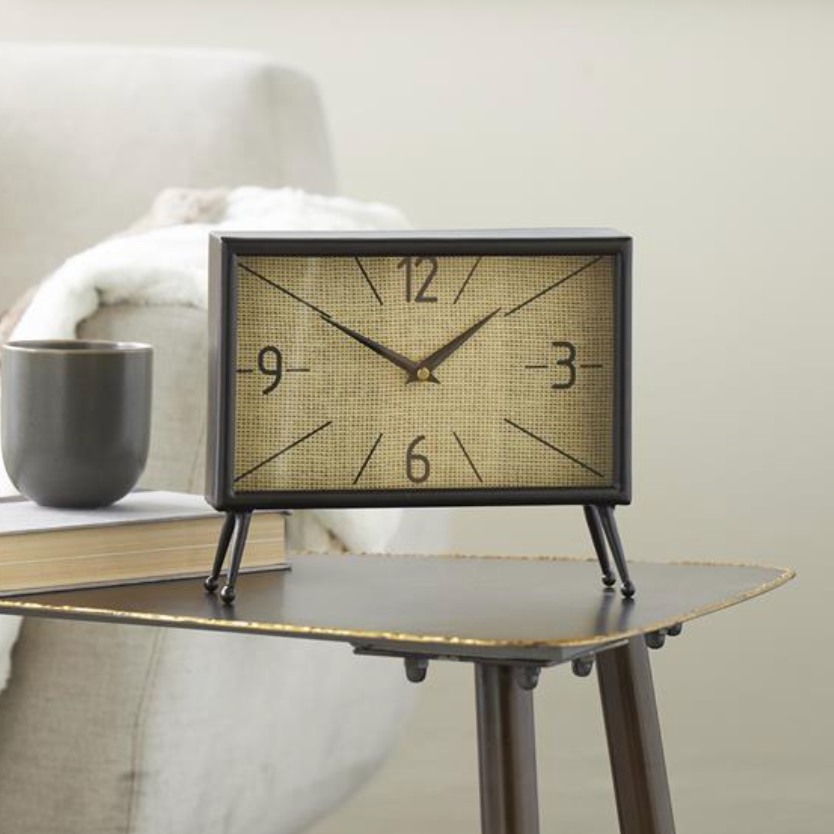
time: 1:51
